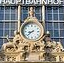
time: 8:38
